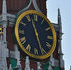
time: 11:26
